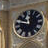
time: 11:46
